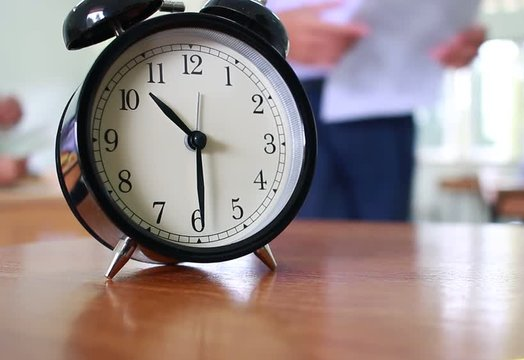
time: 10:29
